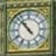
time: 10:53
